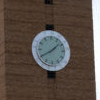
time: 1:40
